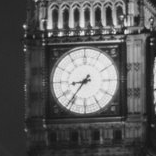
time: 8:36
